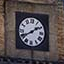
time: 1:40
